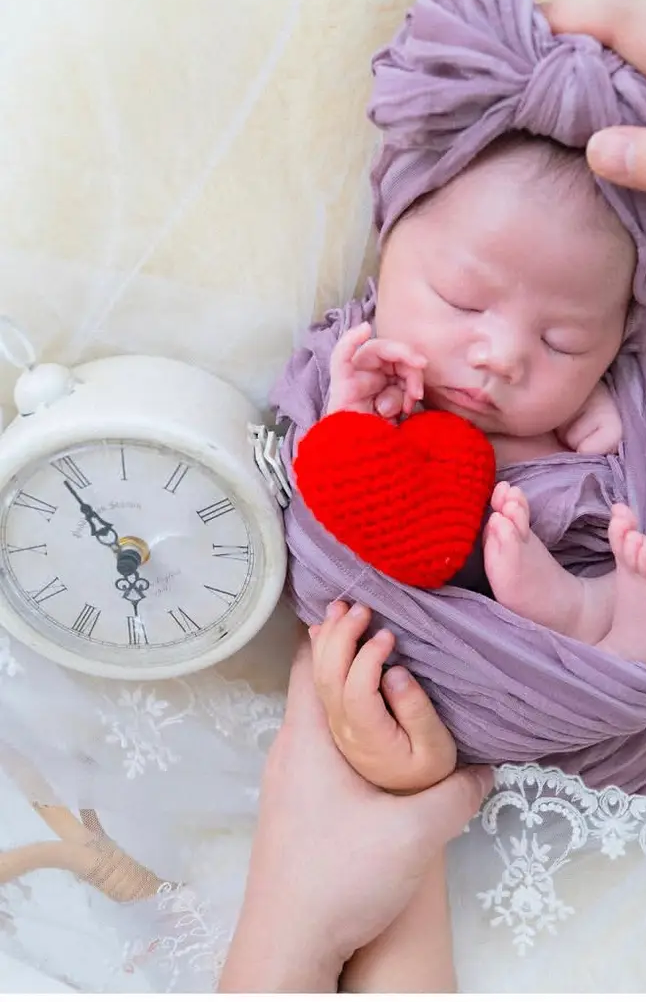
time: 5:54
